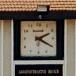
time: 2:19
